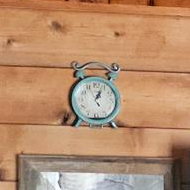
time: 1:03
